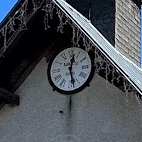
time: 12:27
